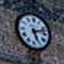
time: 5:12
